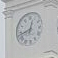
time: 12:42
